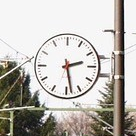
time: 2:28
